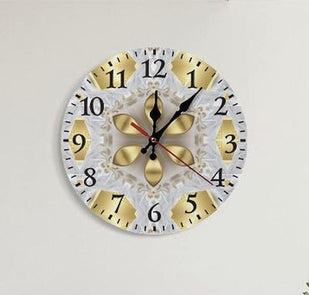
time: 12:06
